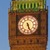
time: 5:26
